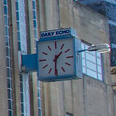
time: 1:30
